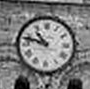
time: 10:47
